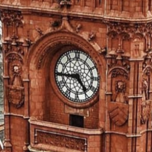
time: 4:44
